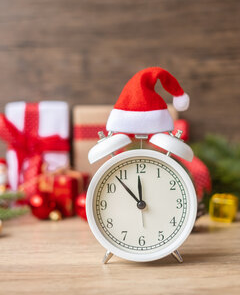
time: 11:53
